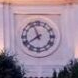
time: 7:56
